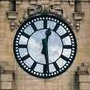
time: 12:28
